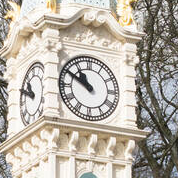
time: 10:50
